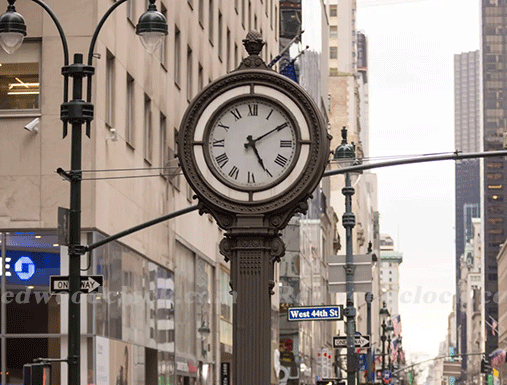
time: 5:09
